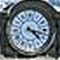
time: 4:17
